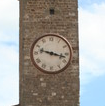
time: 9:17
